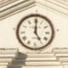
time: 5:00
